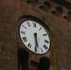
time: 5:30
